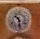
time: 10:28
